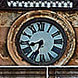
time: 8:33
